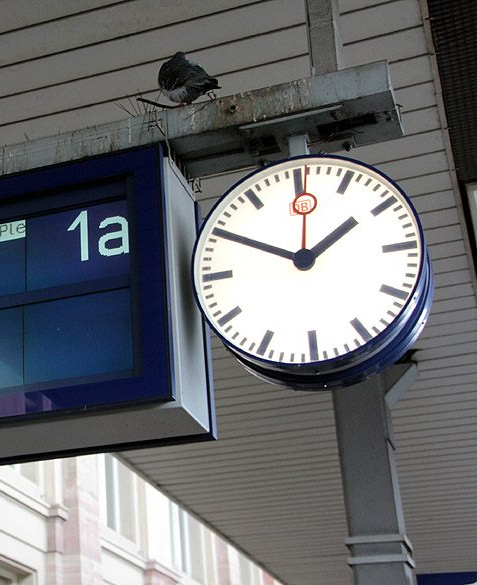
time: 1:49
